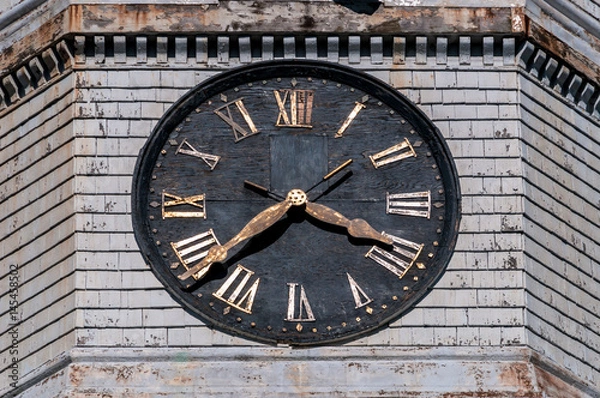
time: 3:38
